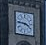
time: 3:46
